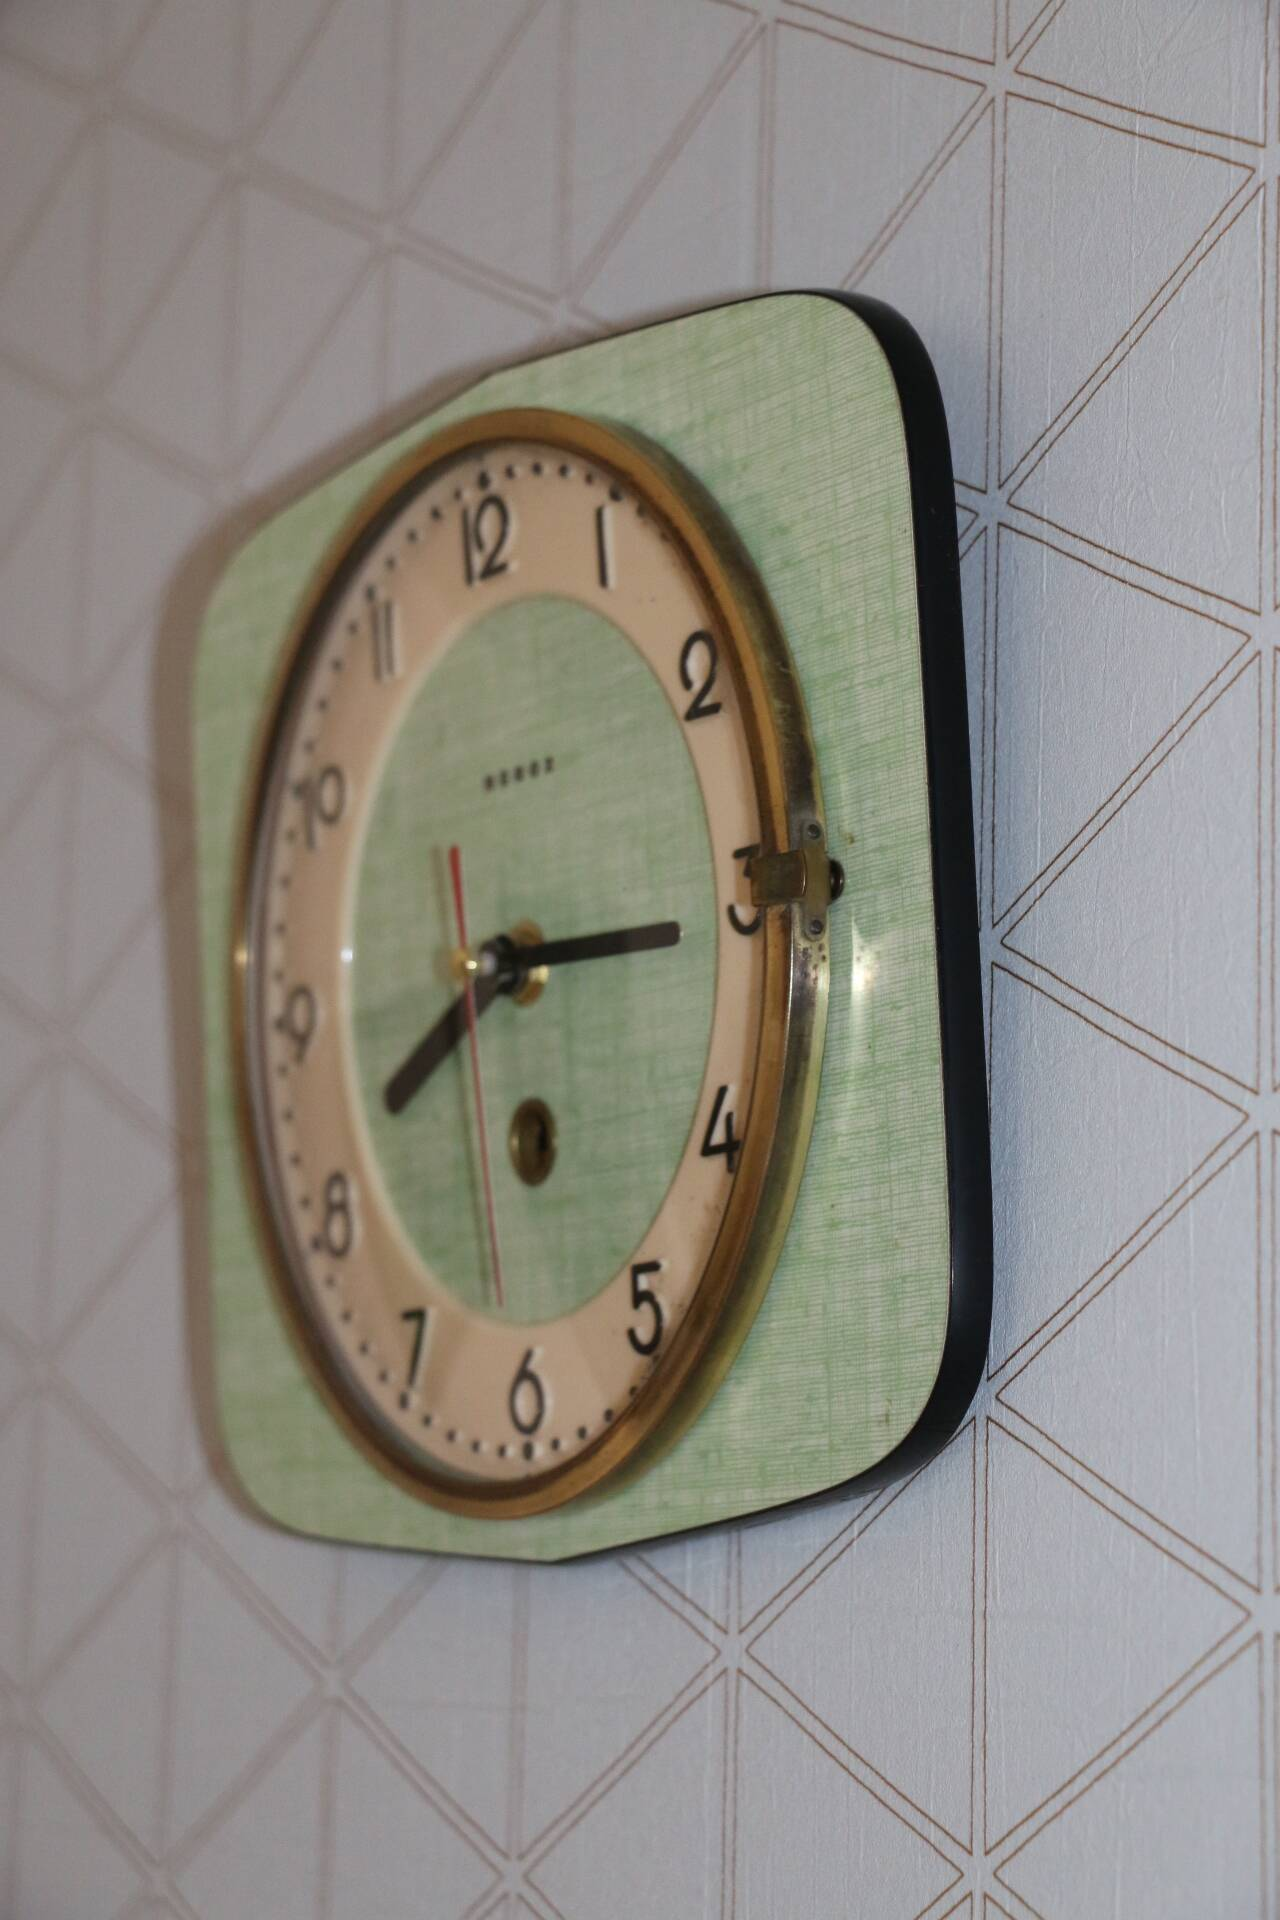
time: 8:15
